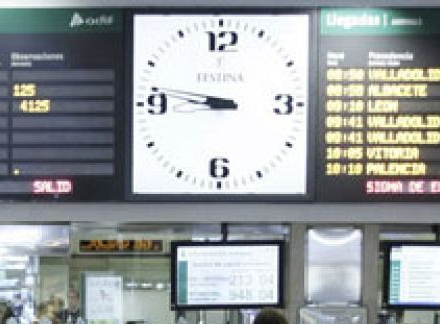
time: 8:46
